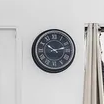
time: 10:12
